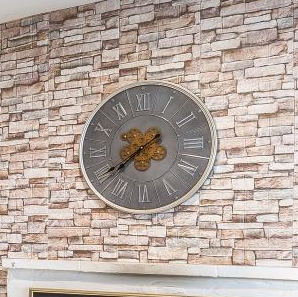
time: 7:39
